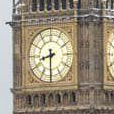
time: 8:30
